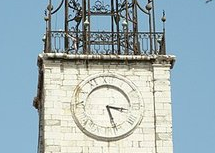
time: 3:26
